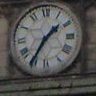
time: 1:35
